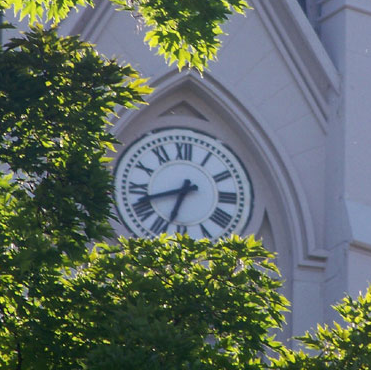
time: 6:42
